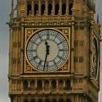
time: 11:31
